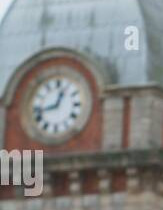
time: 12:42
